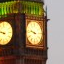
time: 9:47
